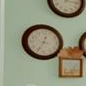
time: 12:34
